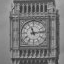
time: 11:13
